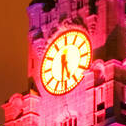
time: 5:31
